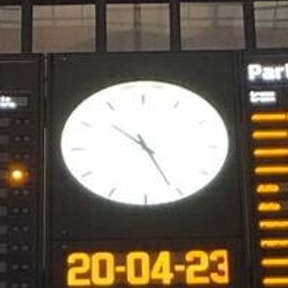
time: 10:25
